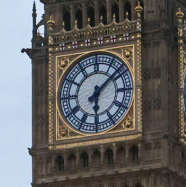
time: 6:08
